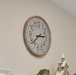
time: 2:38
